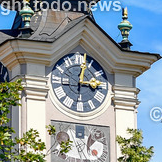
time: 3:02
